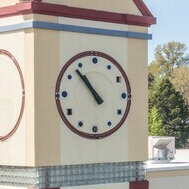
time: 10:53
